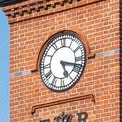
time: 5:17
